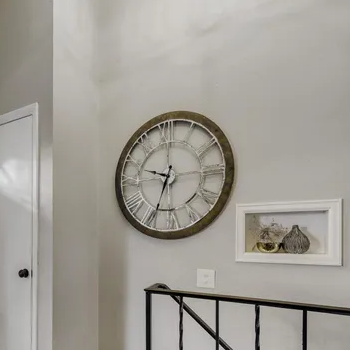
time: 9:34
